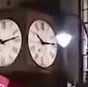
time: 10:13
